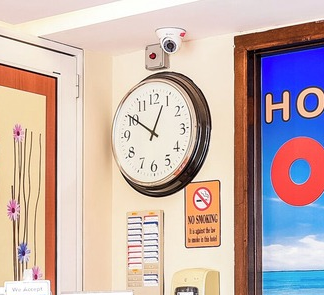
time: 12:50
